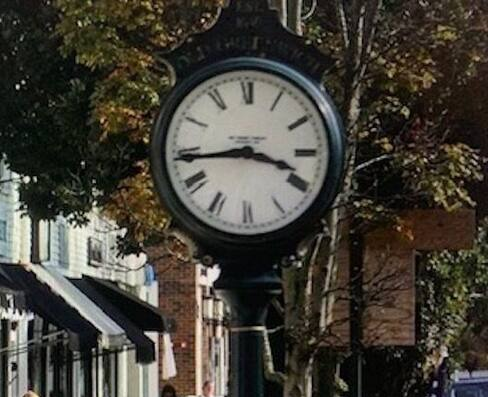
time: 3:43
